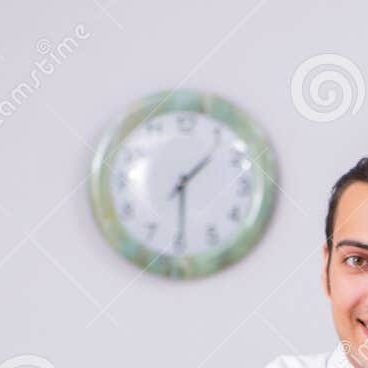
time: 1:29
